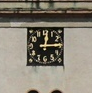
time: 12:14
